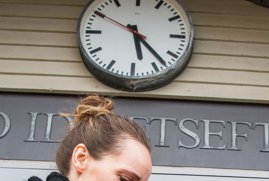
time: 5:22
